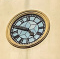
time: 4:47
